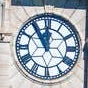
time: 11:55
